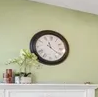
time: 11:20
